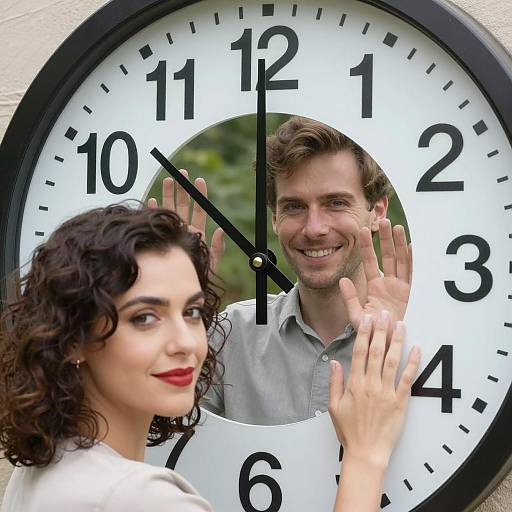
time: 11:51
